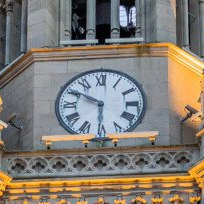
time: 5:50
